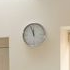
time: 11:56
